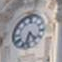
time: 4:32
